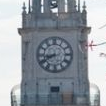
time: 8:40
